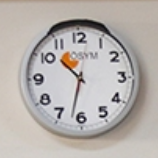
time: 10:32
